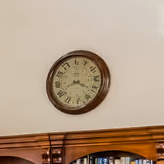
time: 8:20
